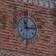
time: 11:13
